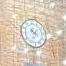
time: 4:33
